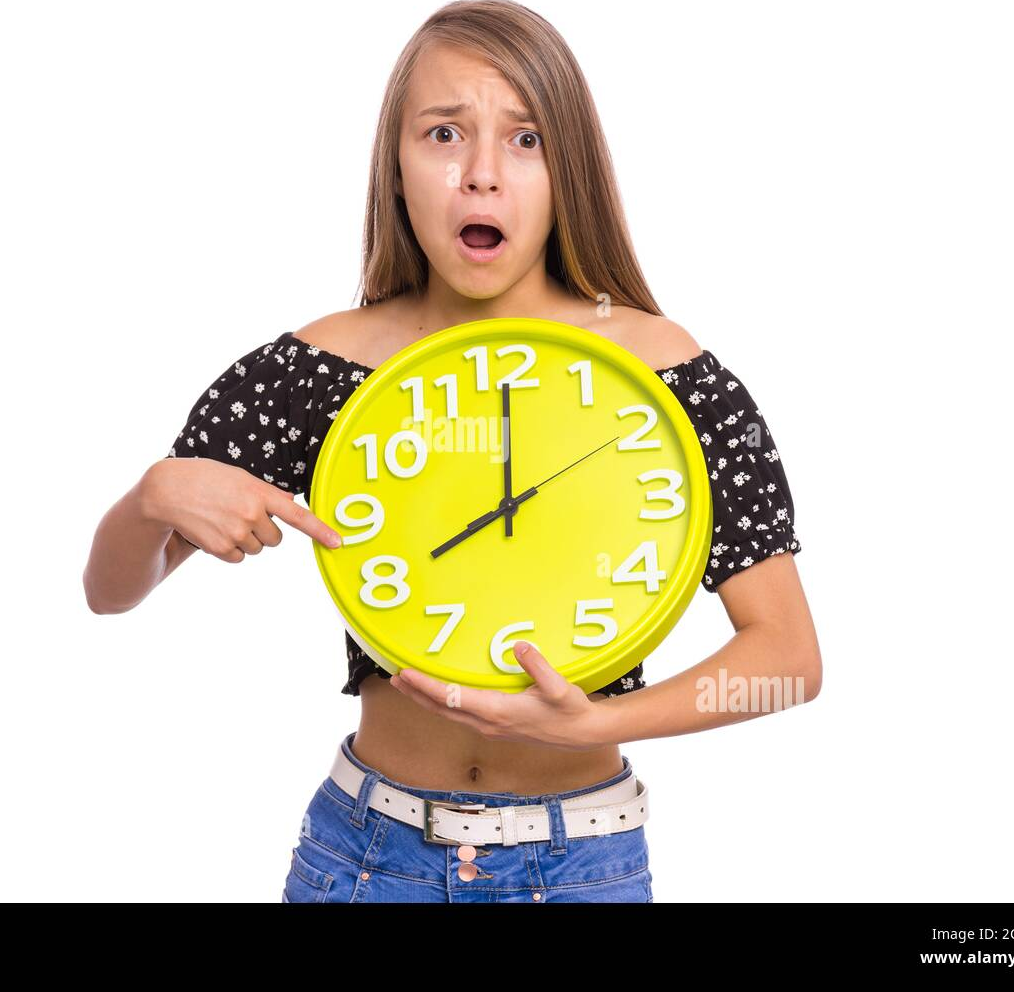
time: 8:00
